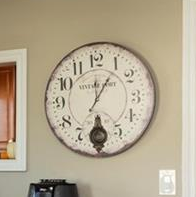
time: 12:05
